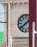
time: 1:38
